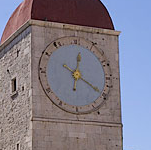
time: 12:20
